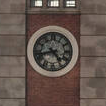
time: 4:42
